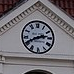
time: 2:40
